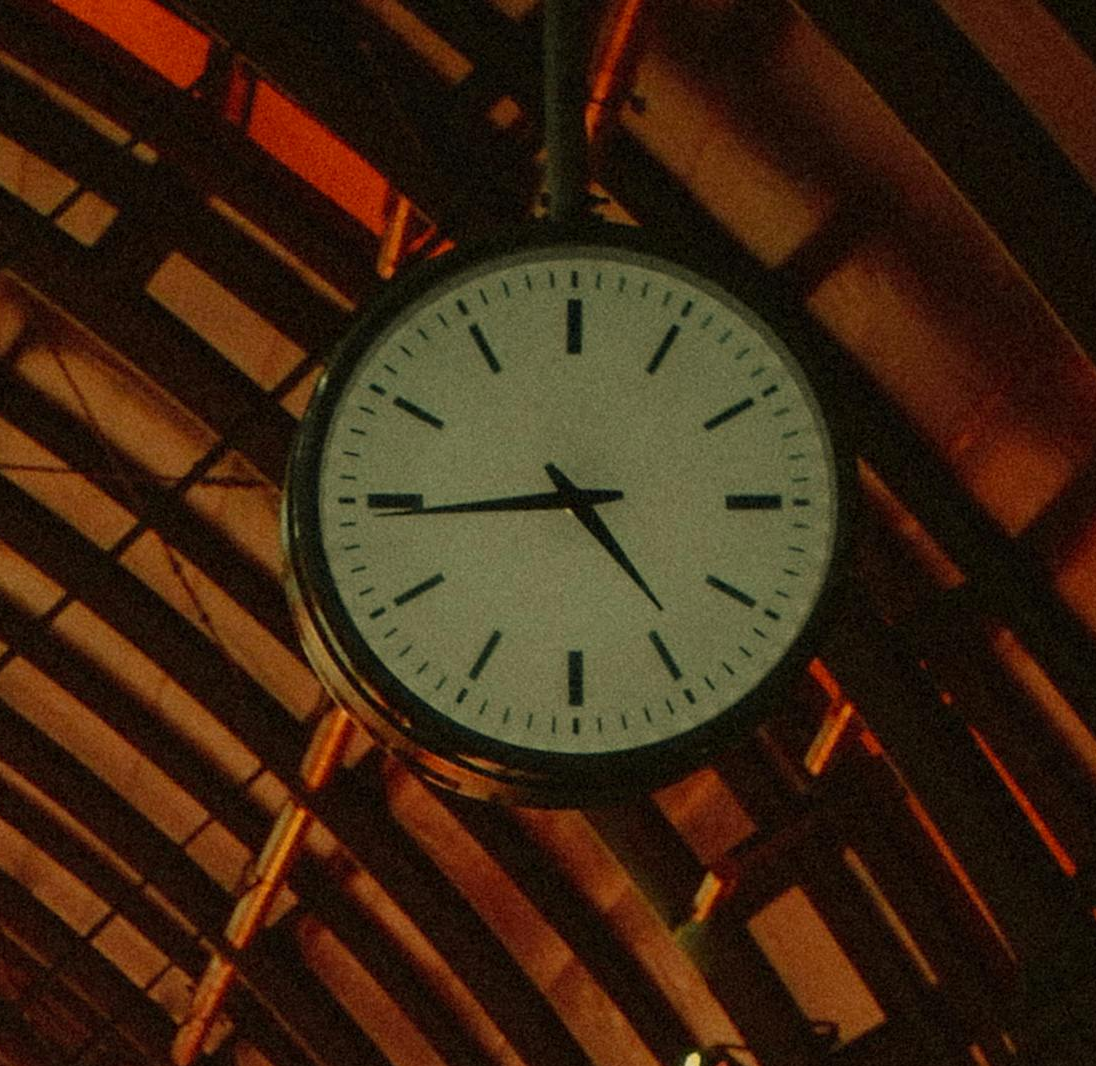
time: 4:44
